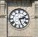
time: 2:26
